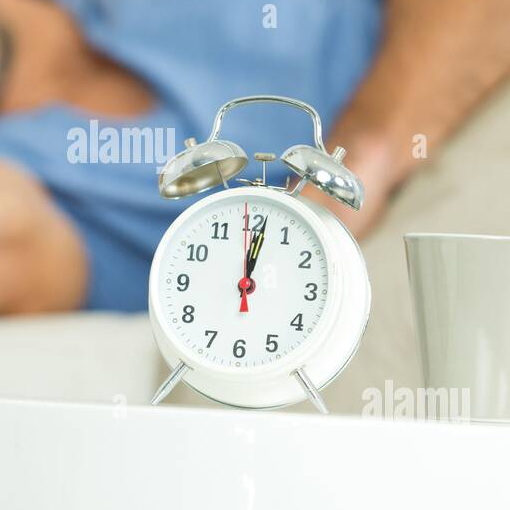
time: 12:01
